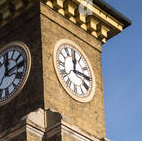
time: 12:14
